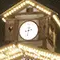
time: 8:32
